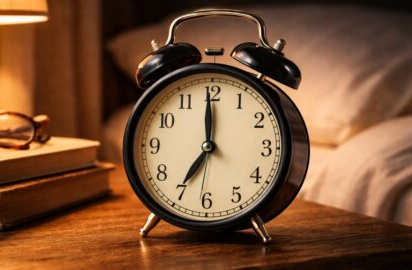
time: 6:59
